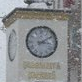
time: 3:09
